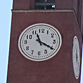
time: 11:19
